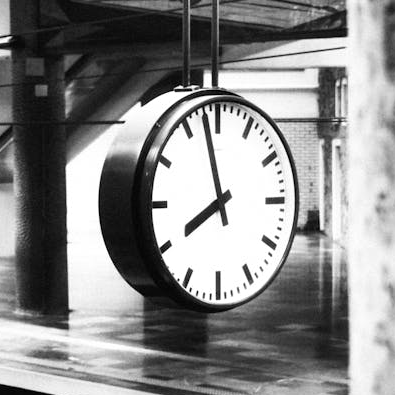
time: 7:57
